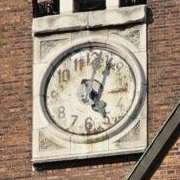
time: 5:03
